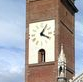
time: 1:18
